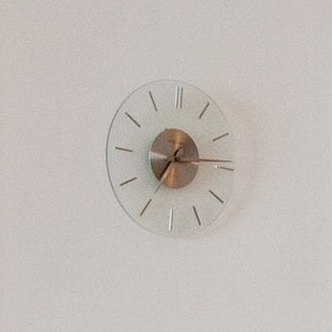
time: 7:14
